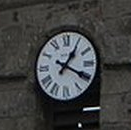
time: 1:19
